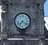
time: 7:21
